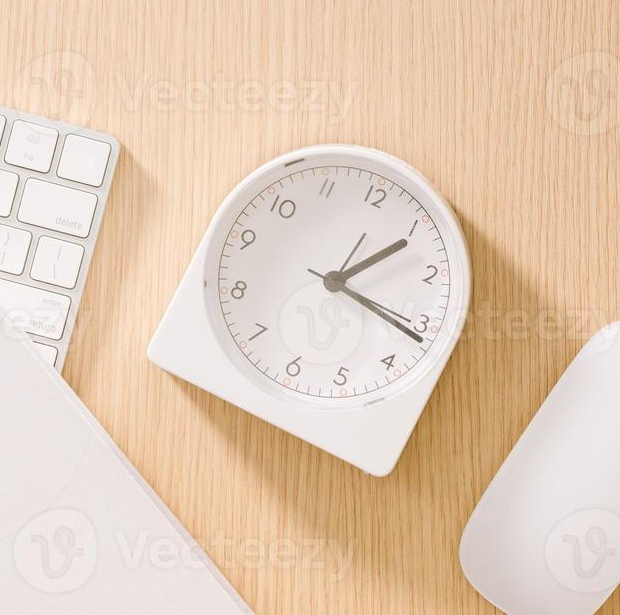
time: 1:16
